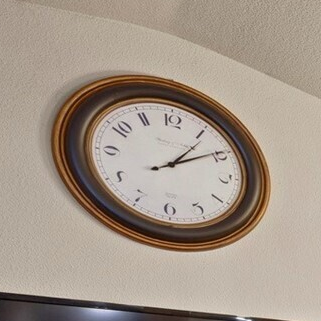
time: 1:09
